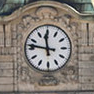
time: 11:46
